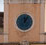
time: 12:05
